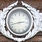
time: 2:42
